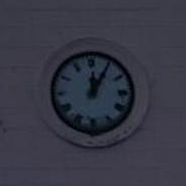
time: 12:05
